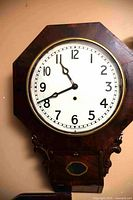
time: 10:41
